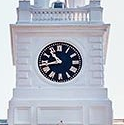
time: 10:42
